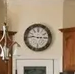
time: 2:46
